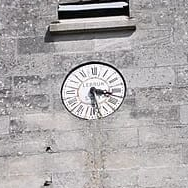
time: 3:27
